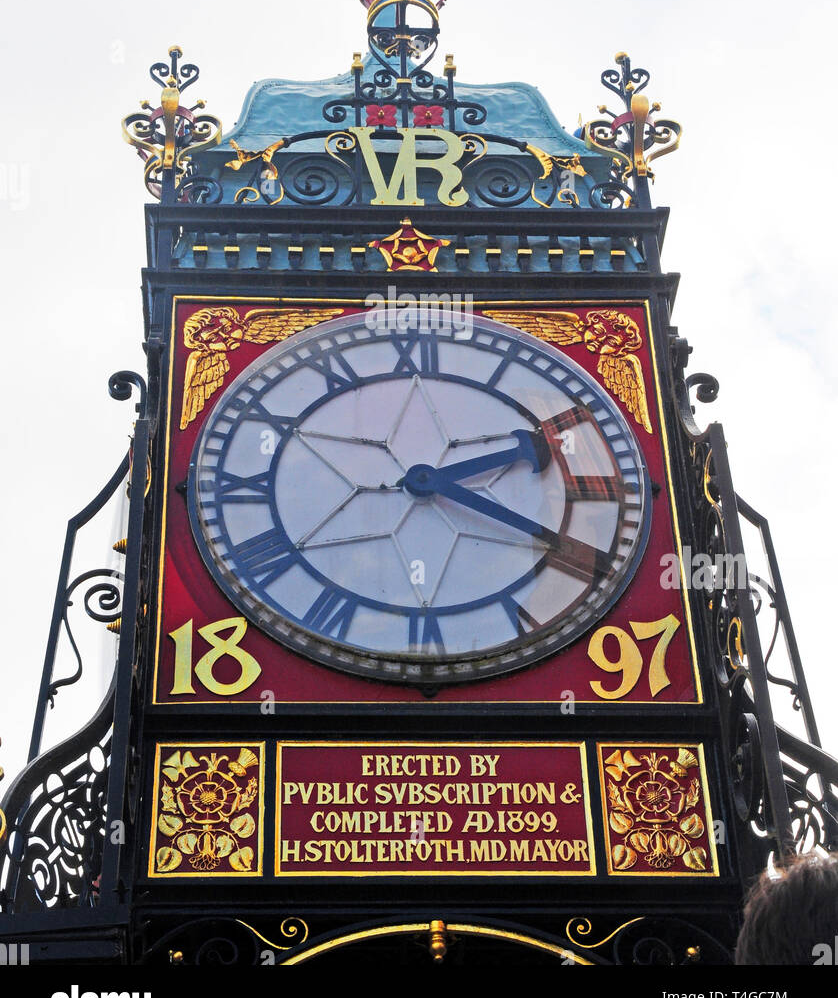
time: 2:19
